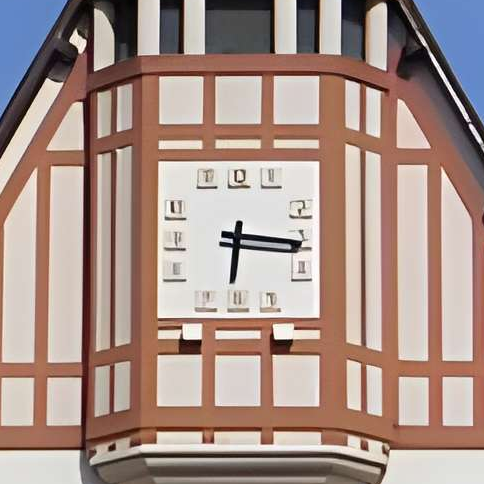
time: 6:16
